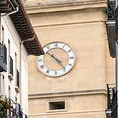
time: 4:52
